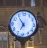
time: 6:54
